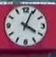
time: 4:04
